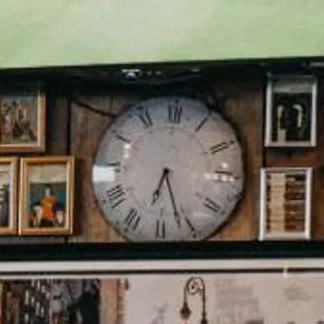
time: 6:26
